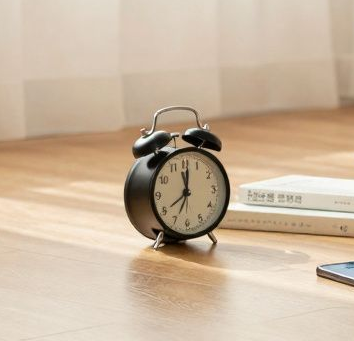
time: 12:01
